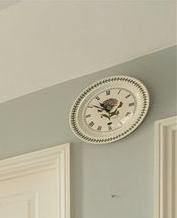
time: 10:50
